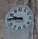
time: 9:45
